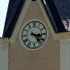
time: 3:23
